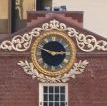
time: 2:48
